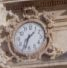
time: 1:33
